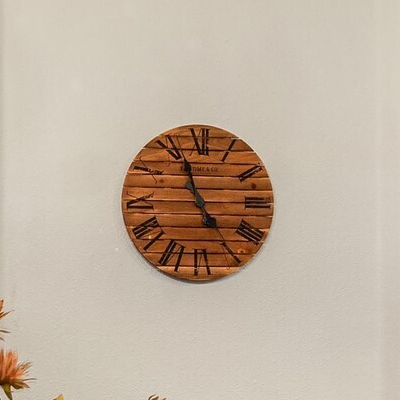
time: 4:56
